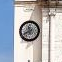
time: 11:40
